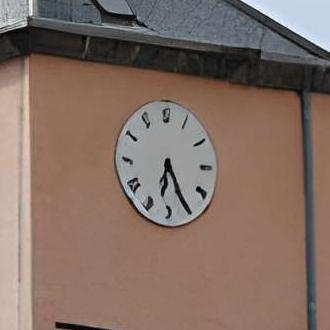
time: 6:25
